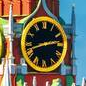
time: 2:42
